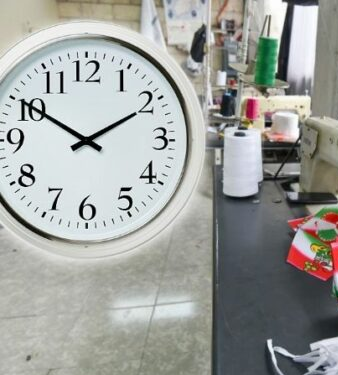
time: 1:50
